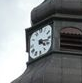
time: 4:17
